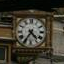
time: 4:35
